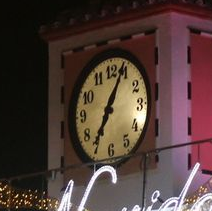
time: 7:04
